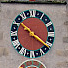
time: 10:20
